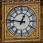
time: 12:46
